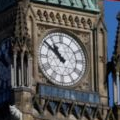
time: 10:51
